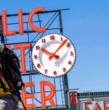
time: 10:07
